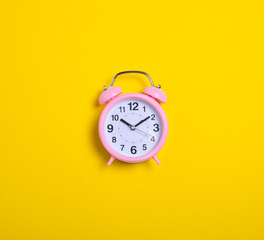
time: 10:09
